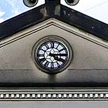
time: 4:14
